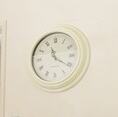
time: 11:20
